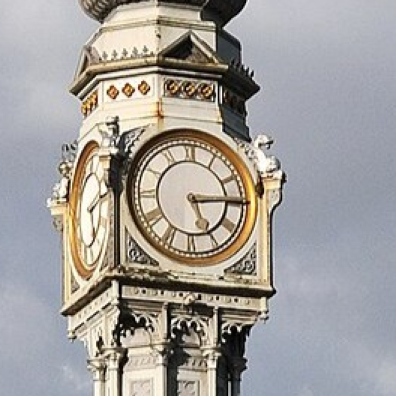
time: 5:14
